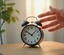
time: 10:07
